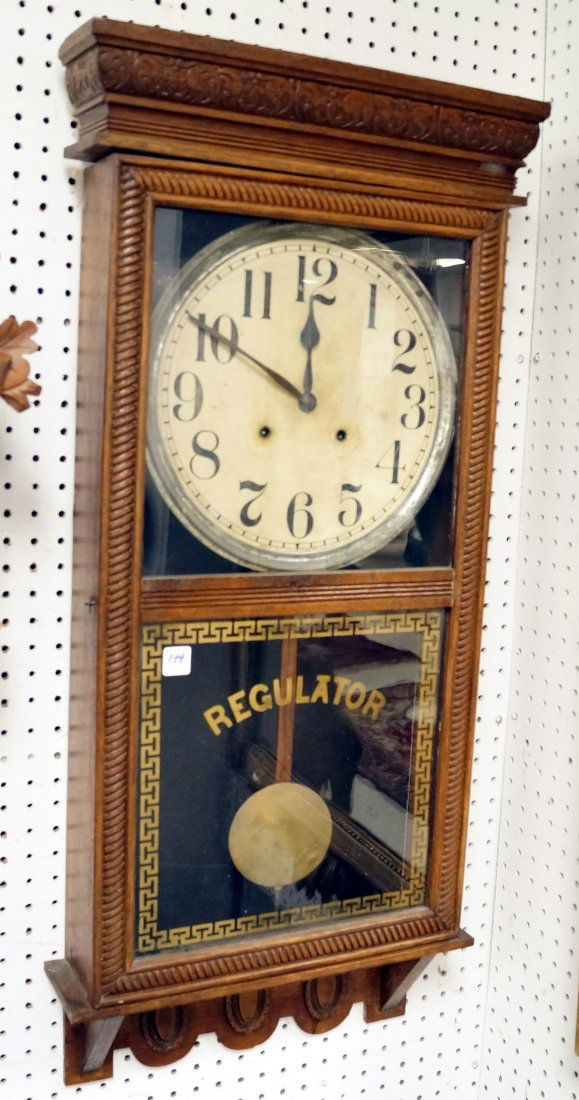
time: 11:50
